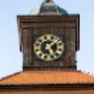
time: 1:24
